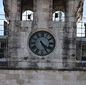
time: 4:25
